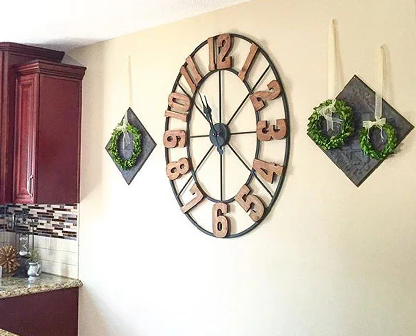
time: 10:07
